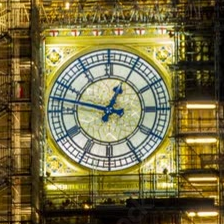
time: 12:47
